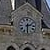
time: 2:30
